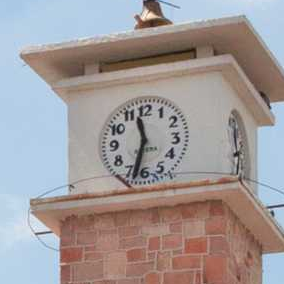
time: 11:32
